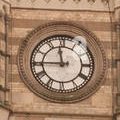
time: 11:44
